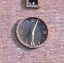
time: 6:03
